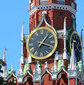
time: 1:18
